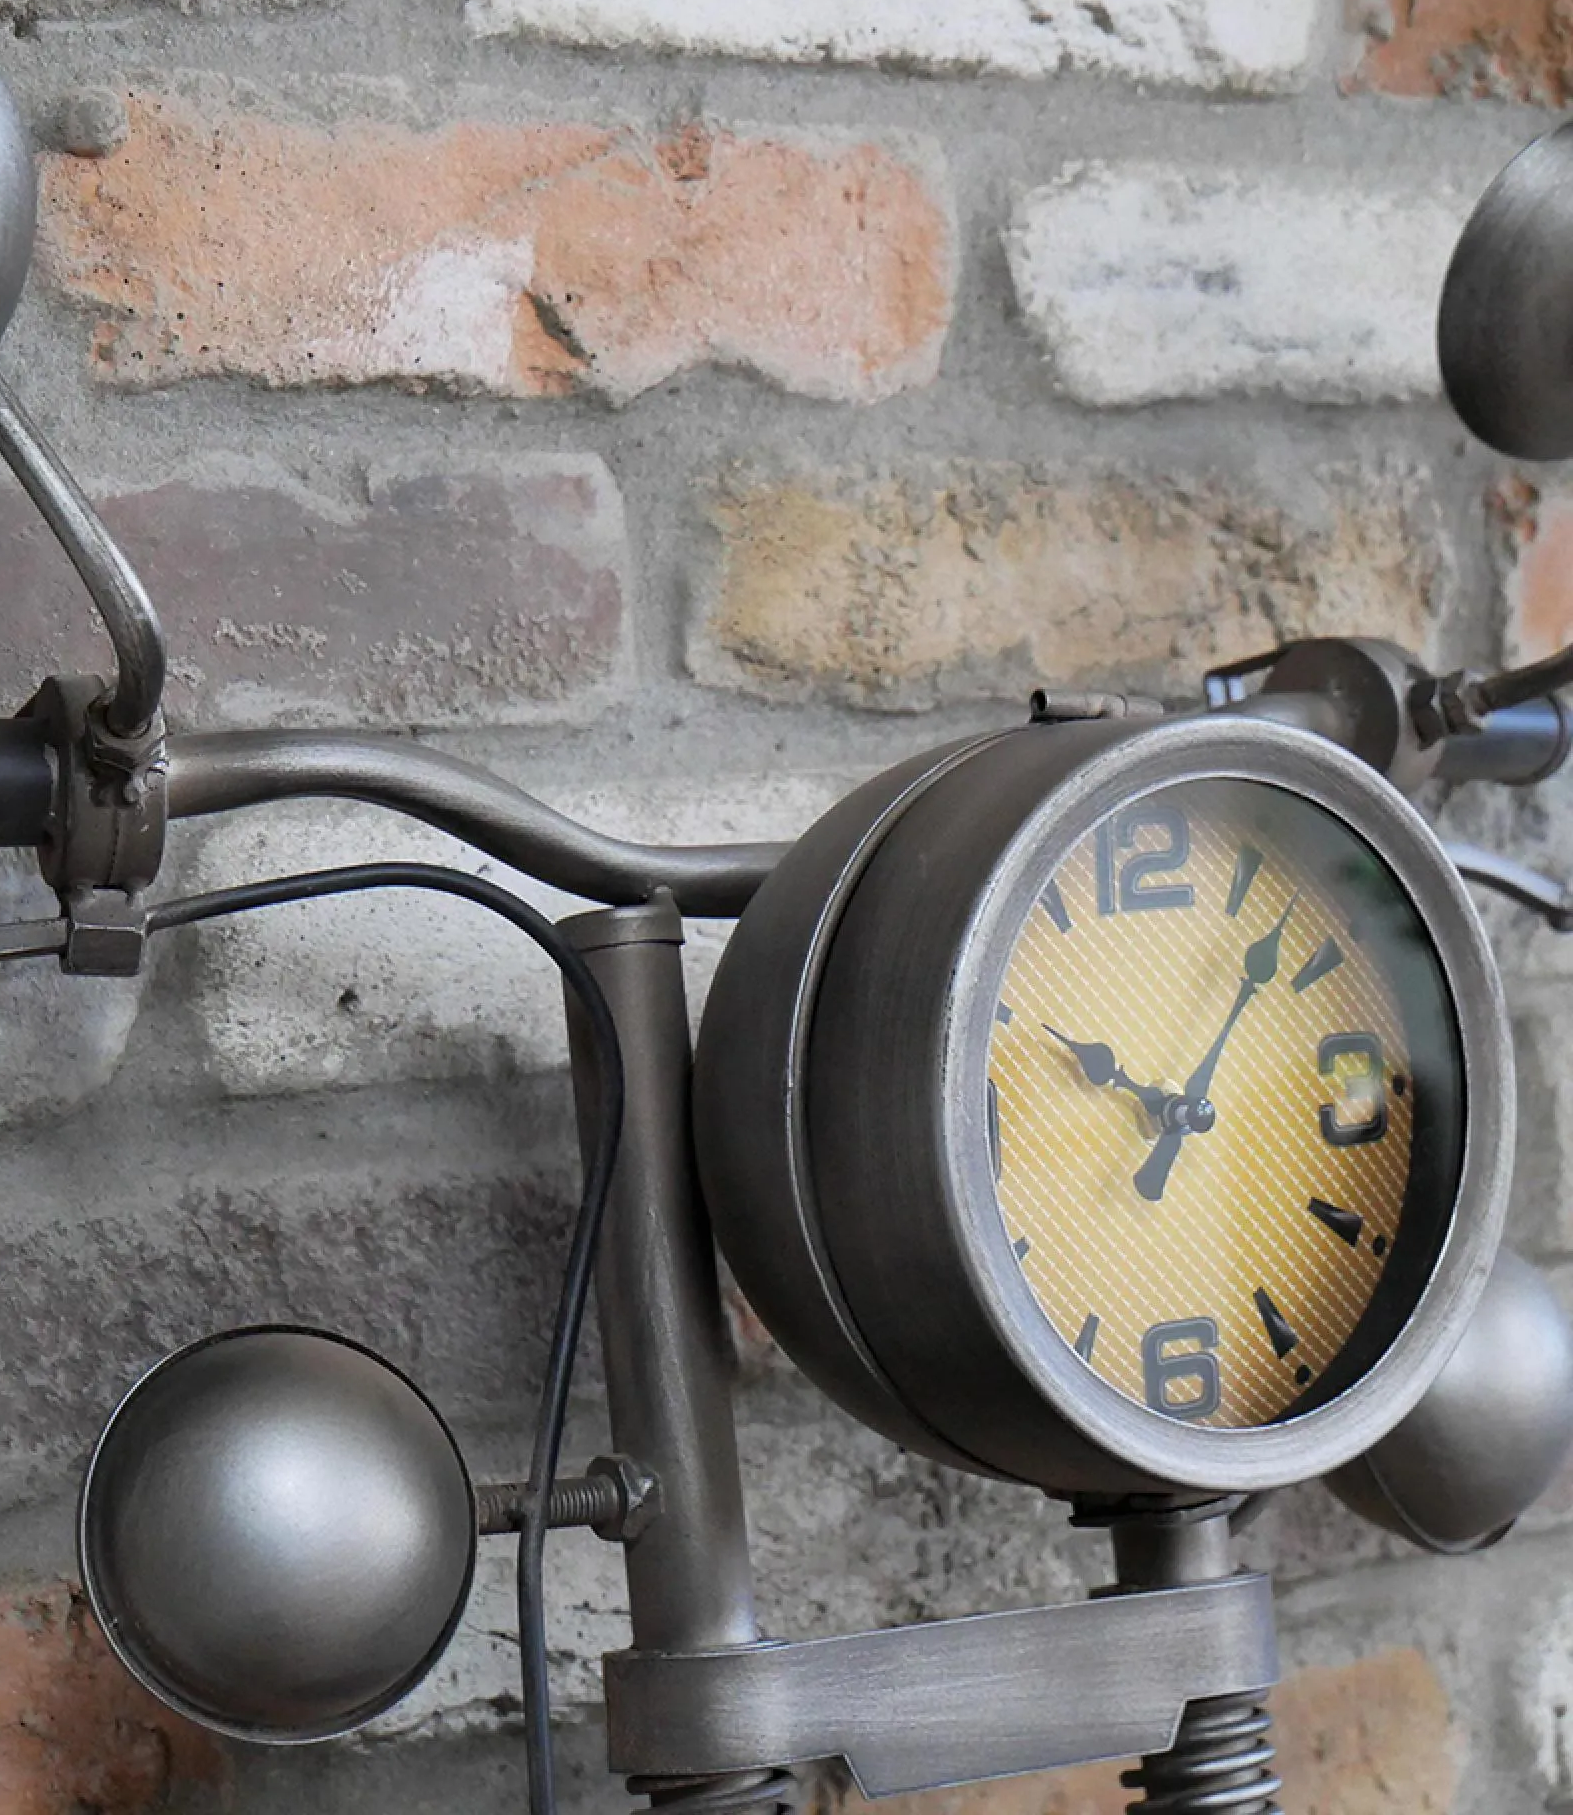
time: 10:07
